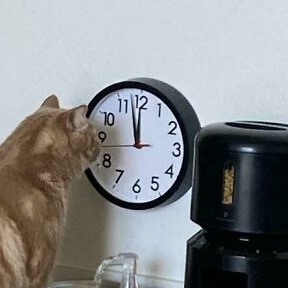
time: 11:57
